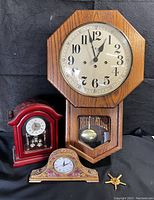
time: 12:57
